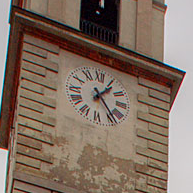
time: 1:23
